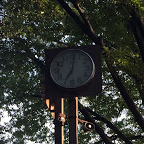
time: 7:01
